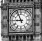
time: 8:56
